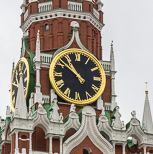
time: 10:51
